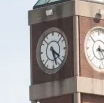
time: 5:20
